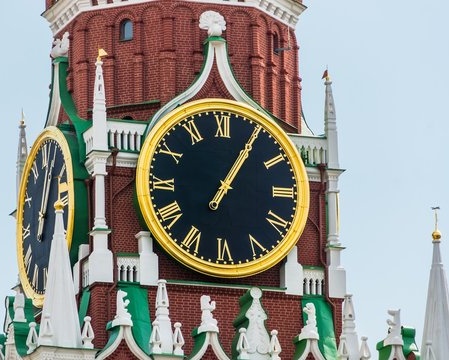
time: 1:05
